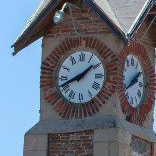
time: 1:41
